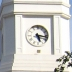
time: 5:15
